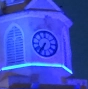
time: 6:35
